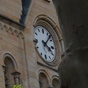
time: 4:07
